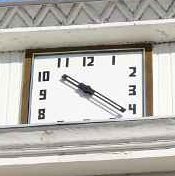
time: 10:21
